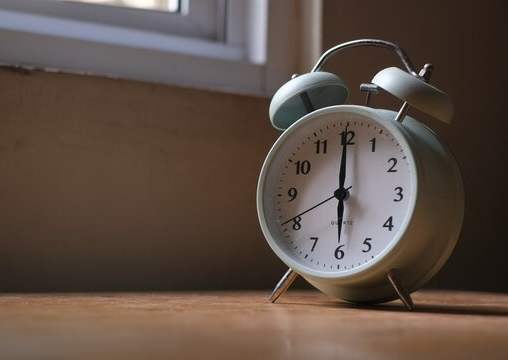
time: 6:00
